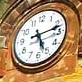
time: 5:12
